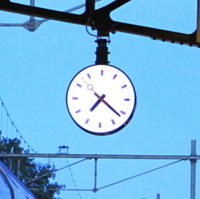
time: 7:21
